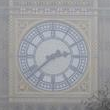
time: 2:38
